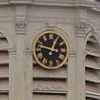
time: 12:47
